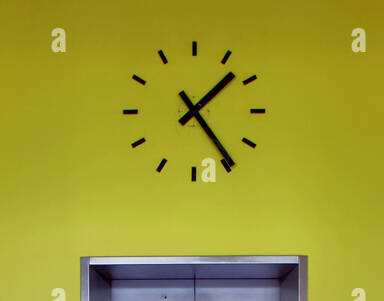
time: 1:24
